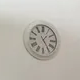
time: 1:24
